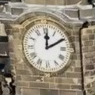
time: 12:10
